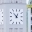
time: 12:52
